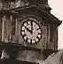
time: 10:00
